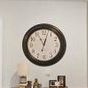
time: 11:02
